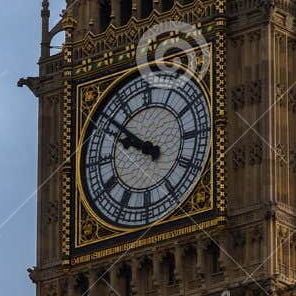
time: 9:51
